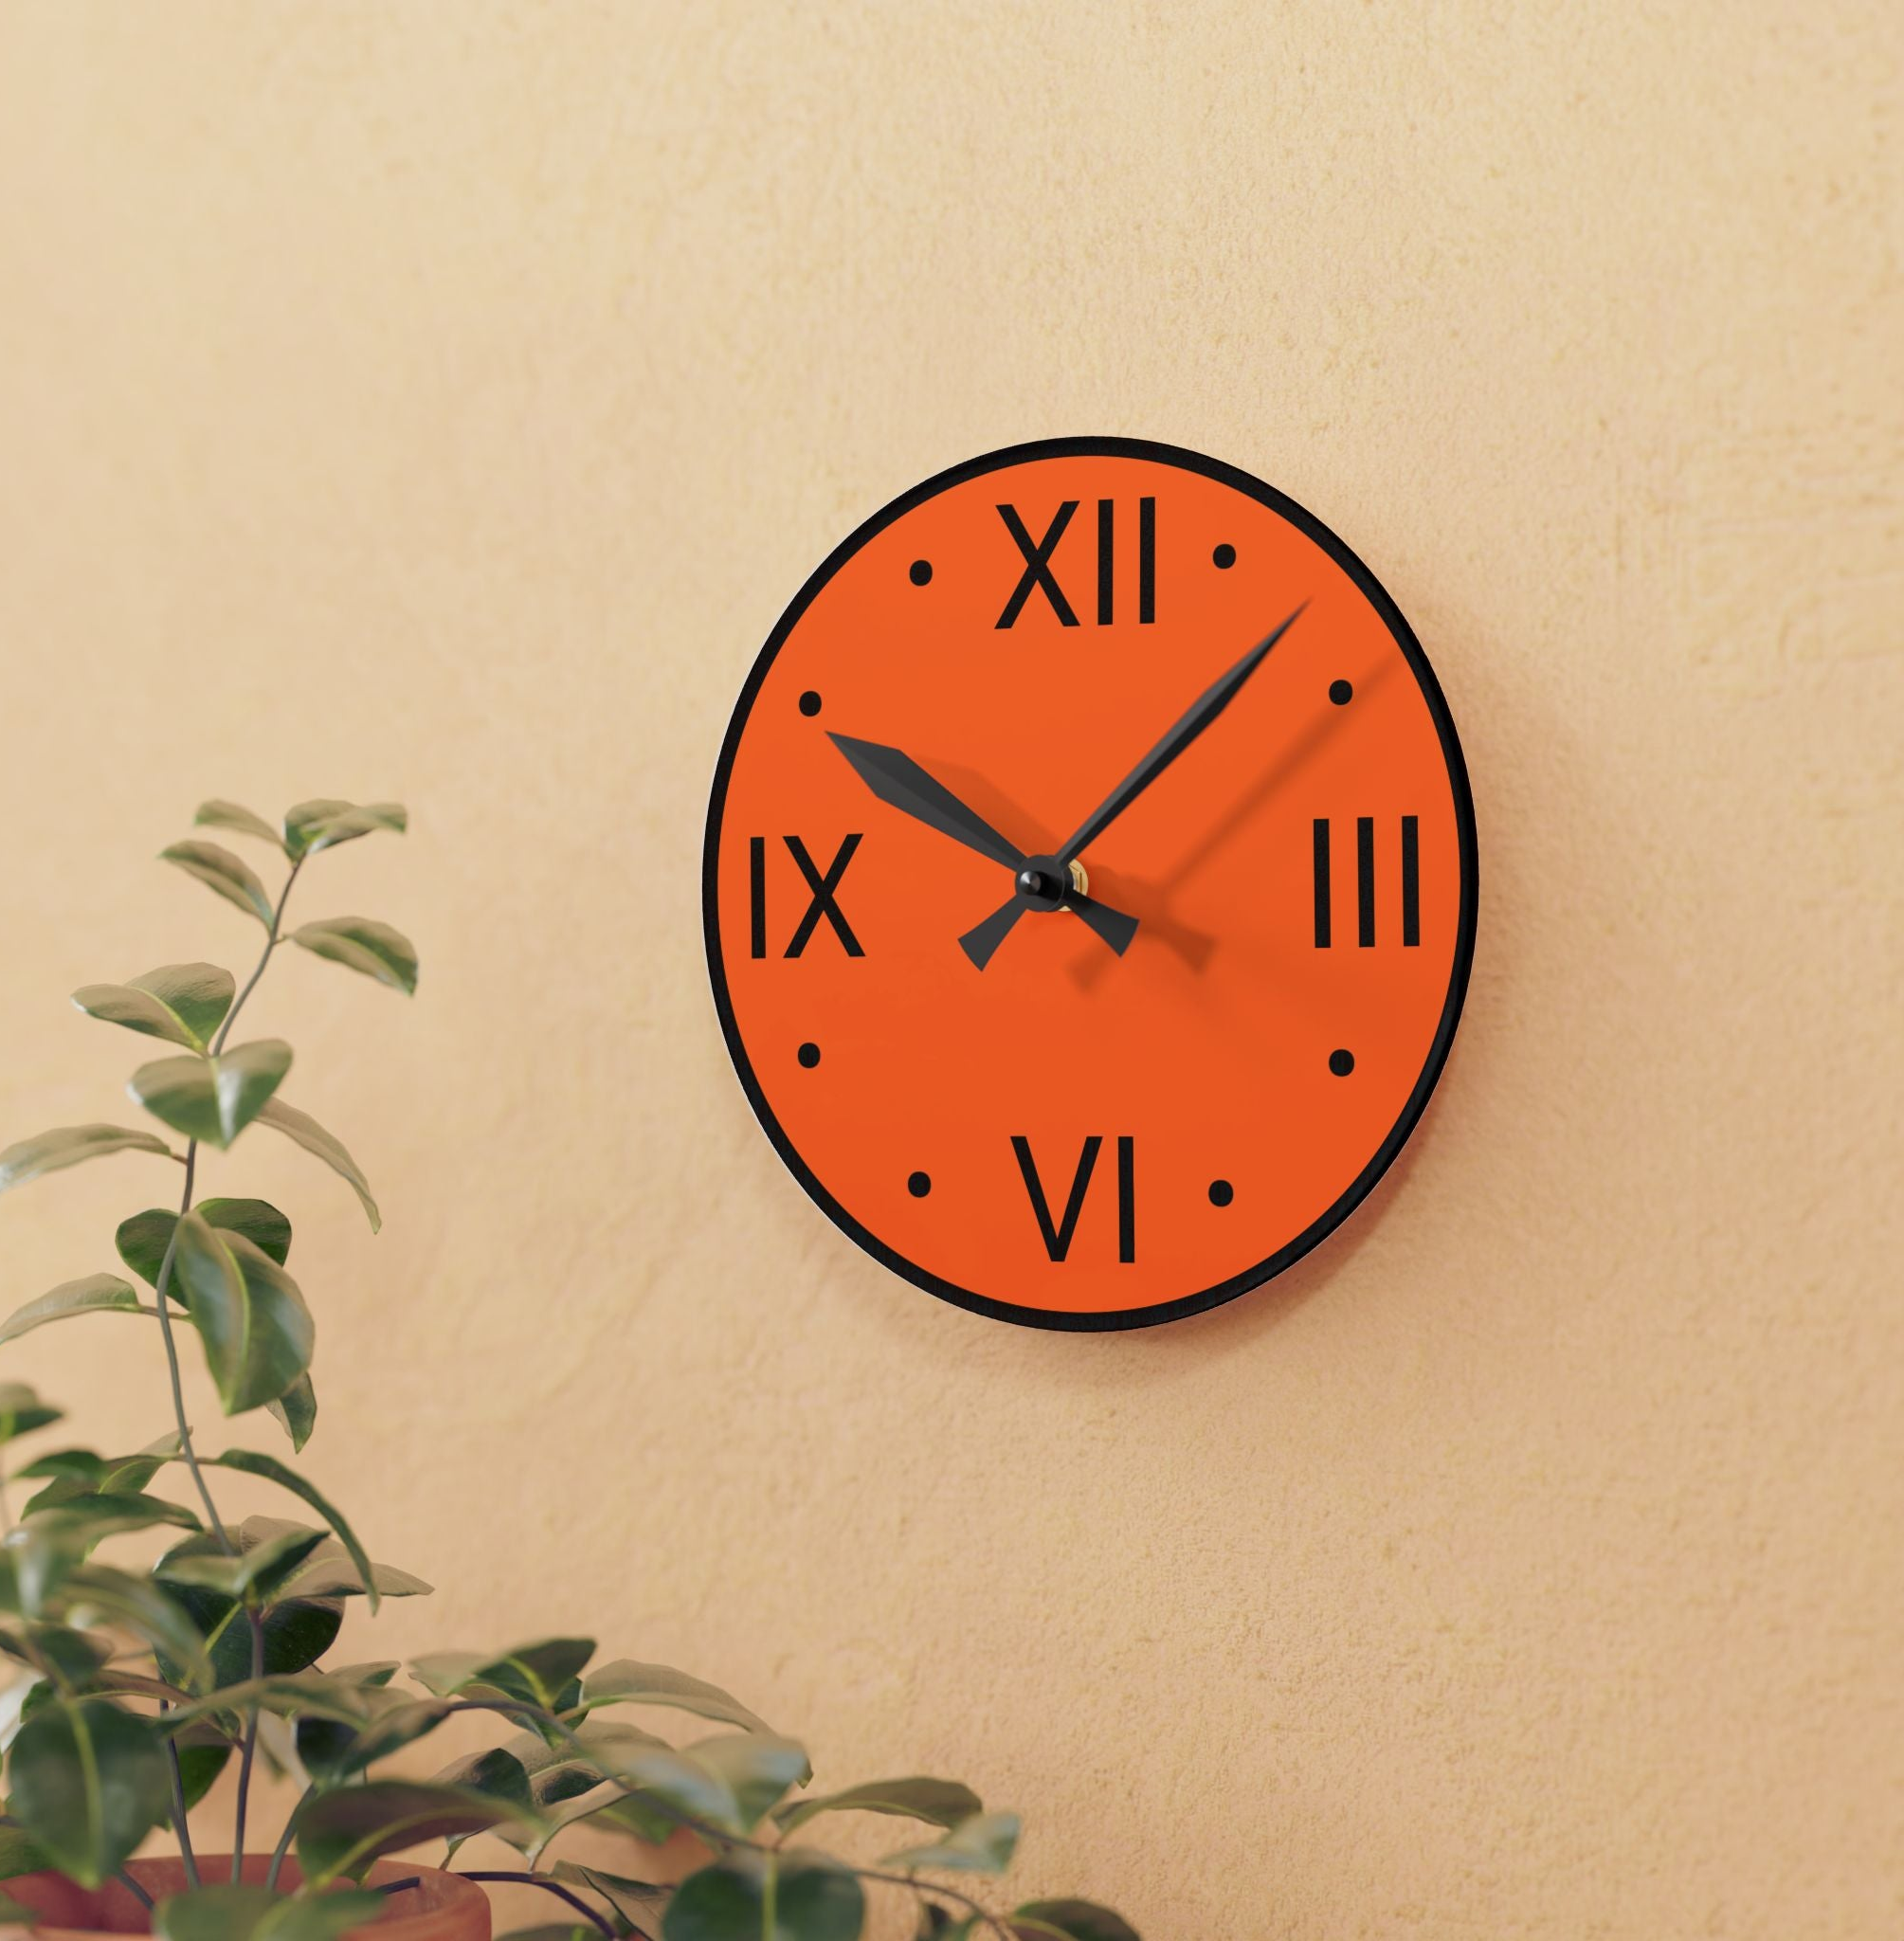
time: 10:07
